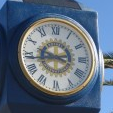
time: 9:43
